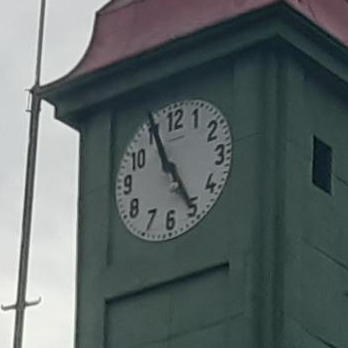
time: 4:55
